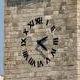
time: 2:22
